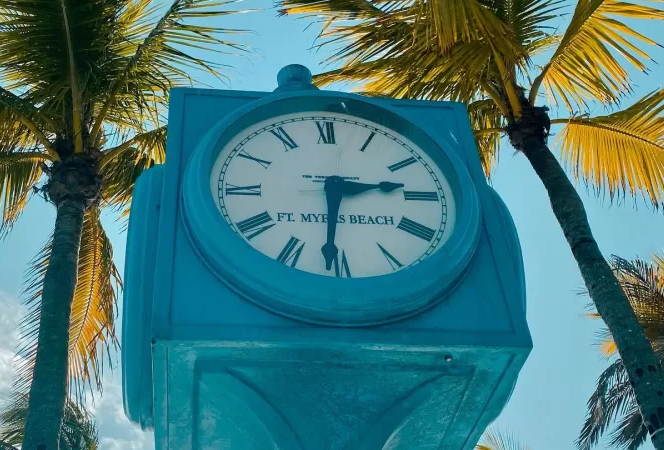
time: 2:31
